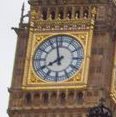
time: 7:57
